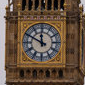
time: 11:49
